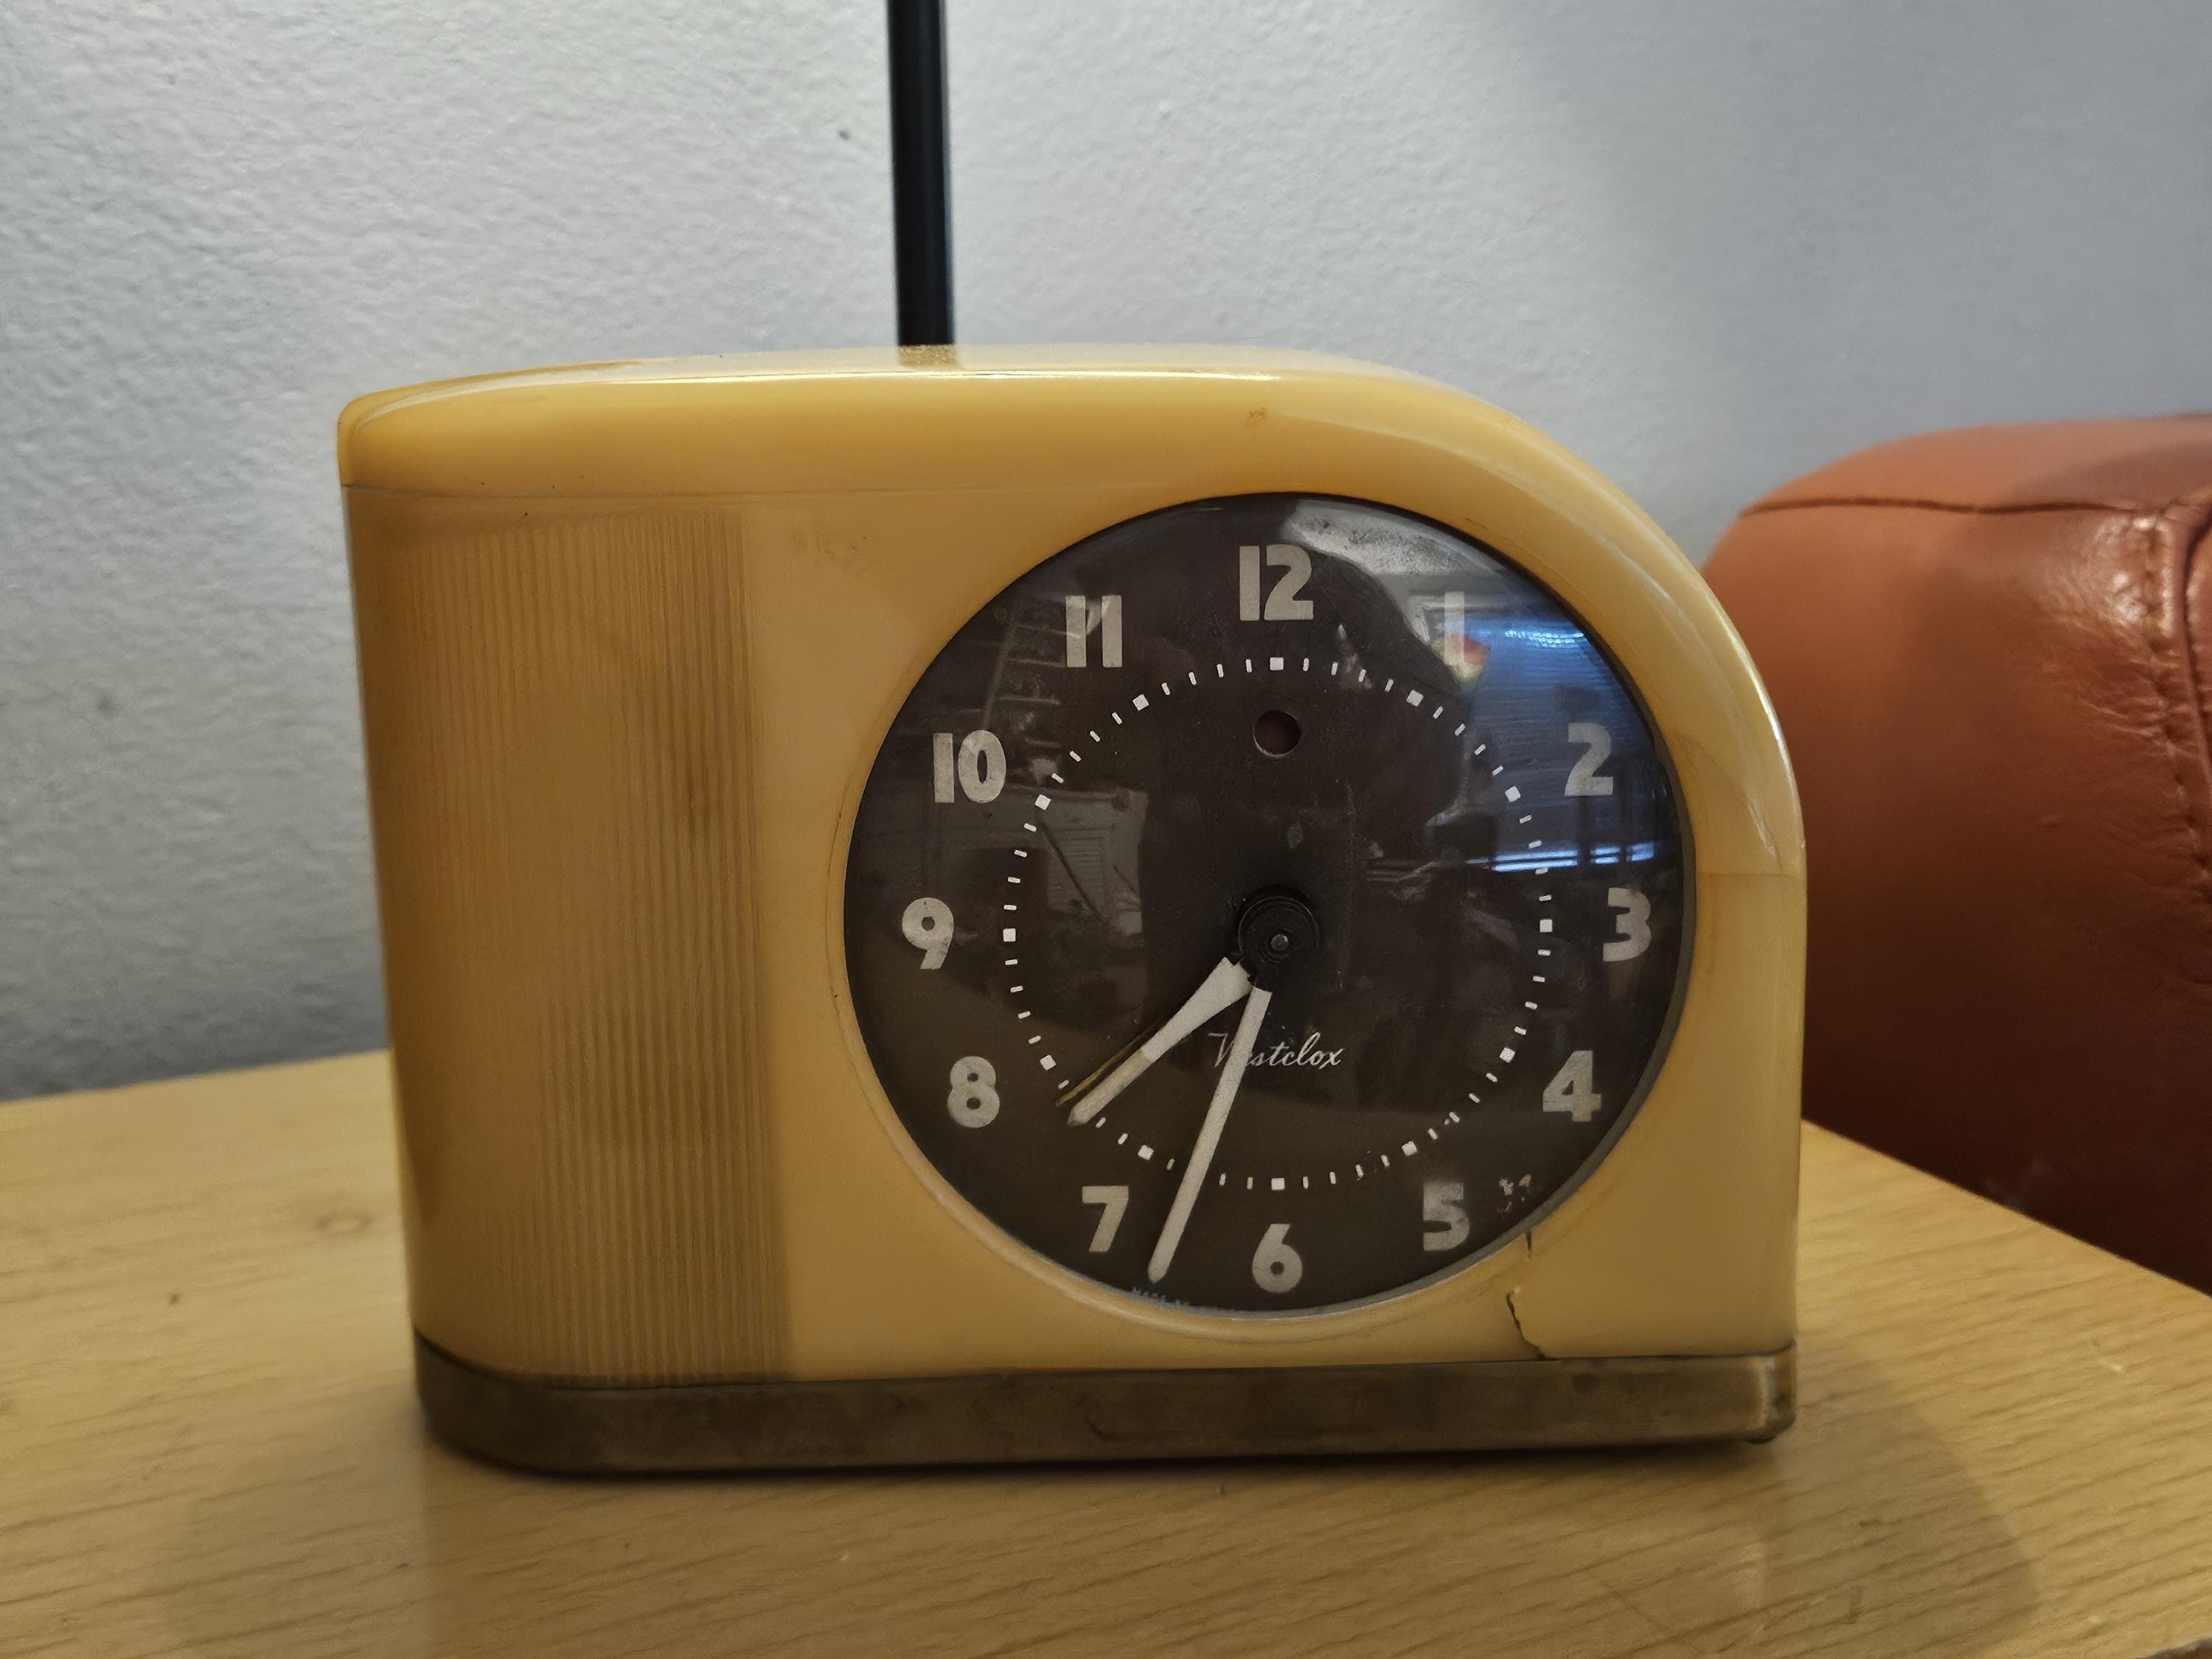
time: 7:33
